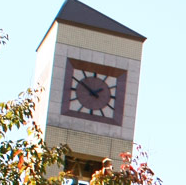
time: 1:50
